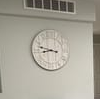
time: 8:47
